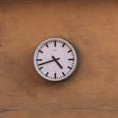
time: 4:42
